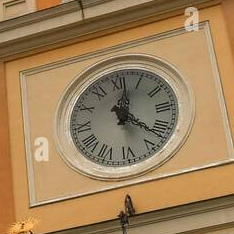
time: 12:22
